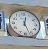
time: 12:26
